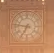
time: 6:46
